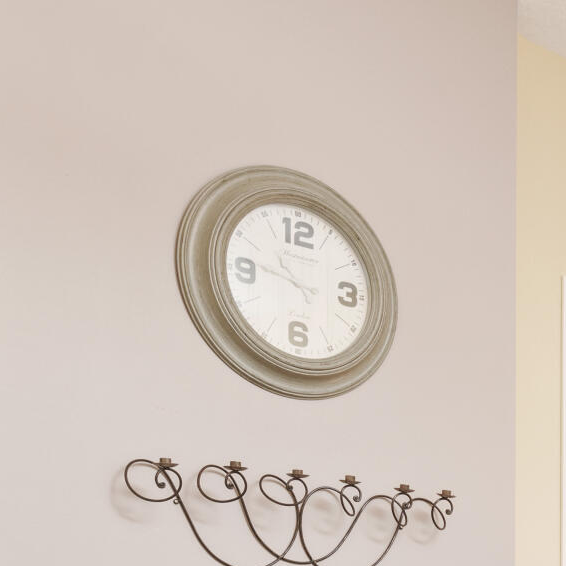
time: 10:46
